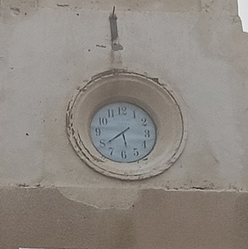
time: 5:38
